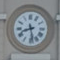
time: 8:28
